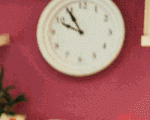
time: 9:54
